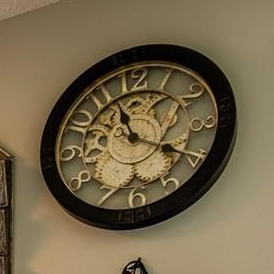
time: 11:19
